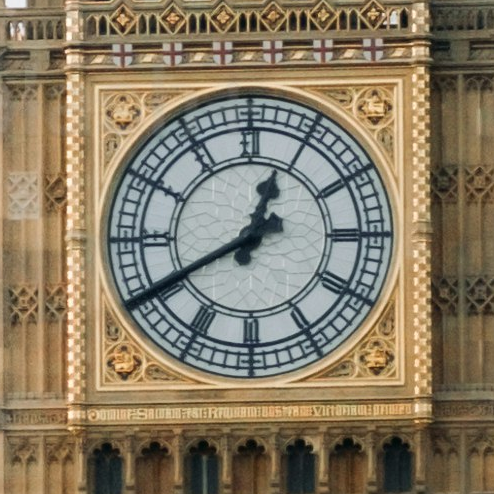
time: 12:40
